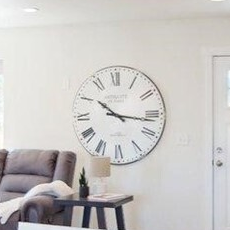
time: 10:16
